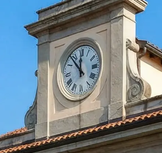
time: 11:53
